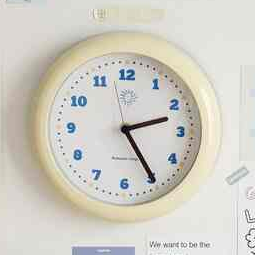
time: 2:24
